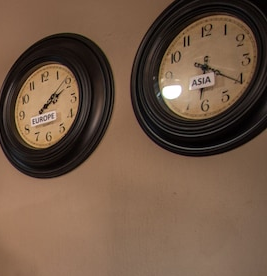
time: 6:20
